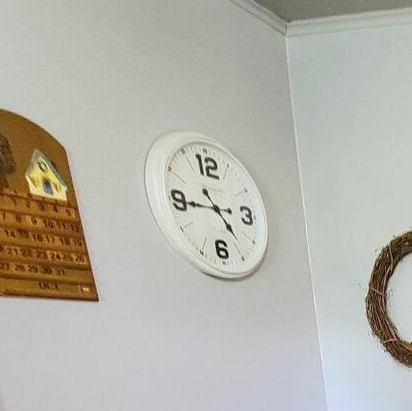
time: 4:44
